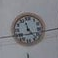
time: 11:22
